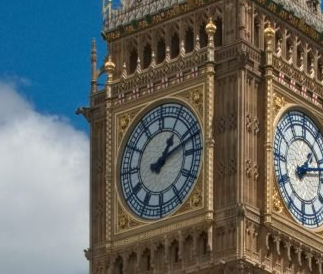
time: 1:11
